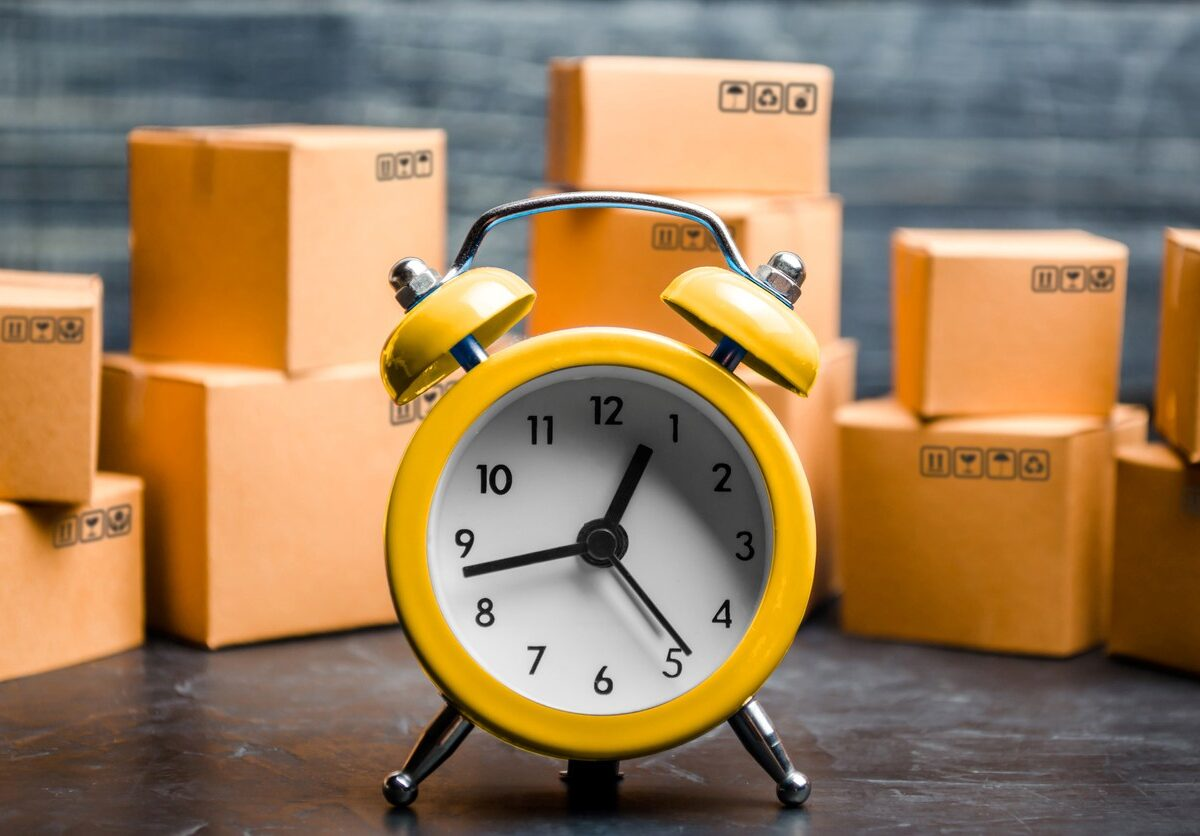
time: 12:42
